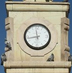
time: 11:43
